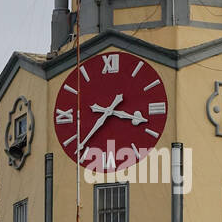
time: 3:37
